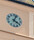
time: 4:04
